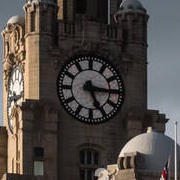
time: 5:15
